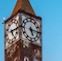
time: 5:15
